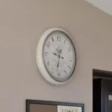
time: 9:32
